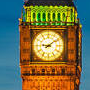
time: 9:08
